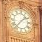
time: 1:37
